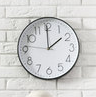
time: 1:59
